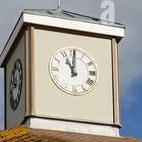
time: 11:00
